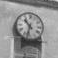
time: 10:32
